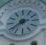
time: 2:38
